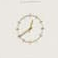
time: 12:39
